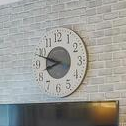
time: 8:48
